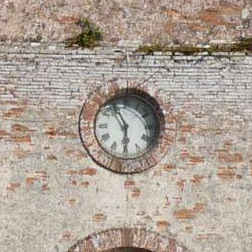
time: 5:55
